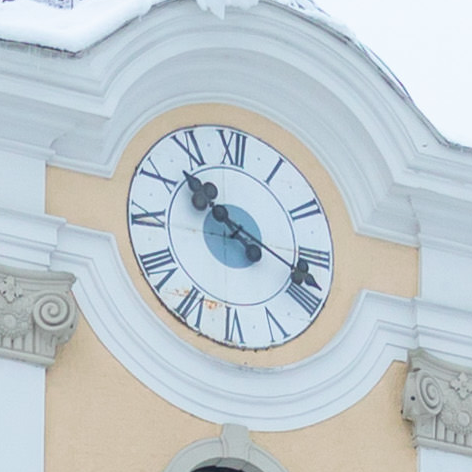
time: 10:18
